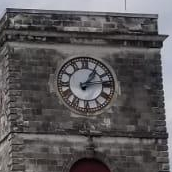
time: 1:13
